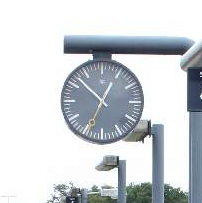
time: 12:52
